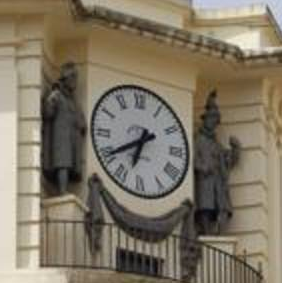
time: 6:39
